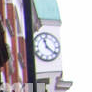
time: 11:21
